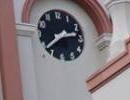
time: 2:39
